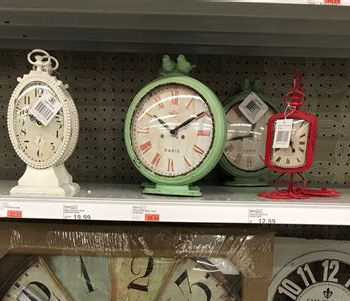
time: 10:09
